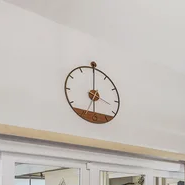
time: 6:00
